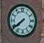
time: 7:39
